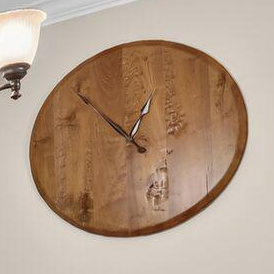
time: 12:52
